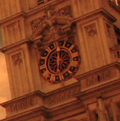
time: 5:59
